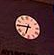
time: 6:45
